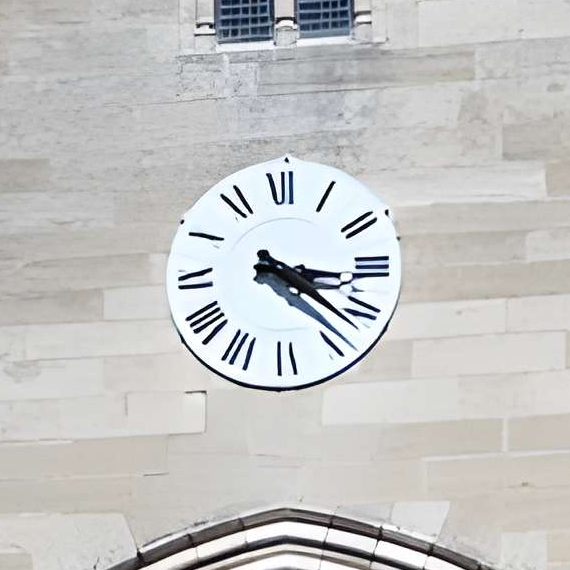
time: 3:21
